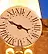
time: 3:48
